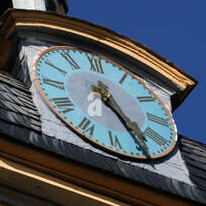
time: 12:24
